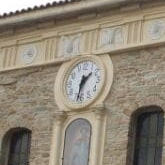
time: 1:32
